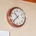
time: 10:37
